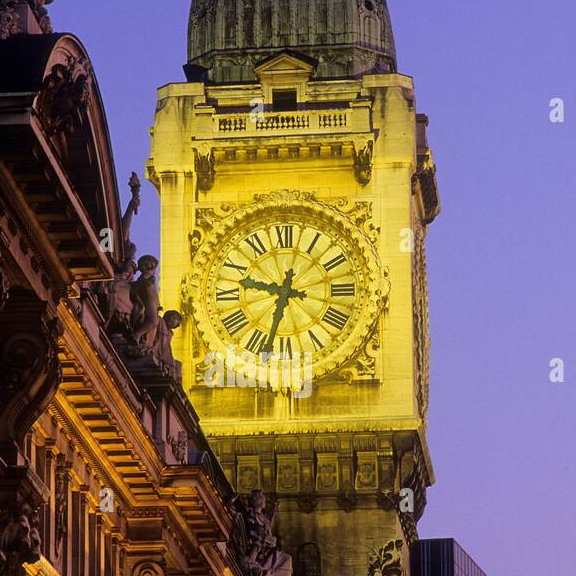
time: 9:32
